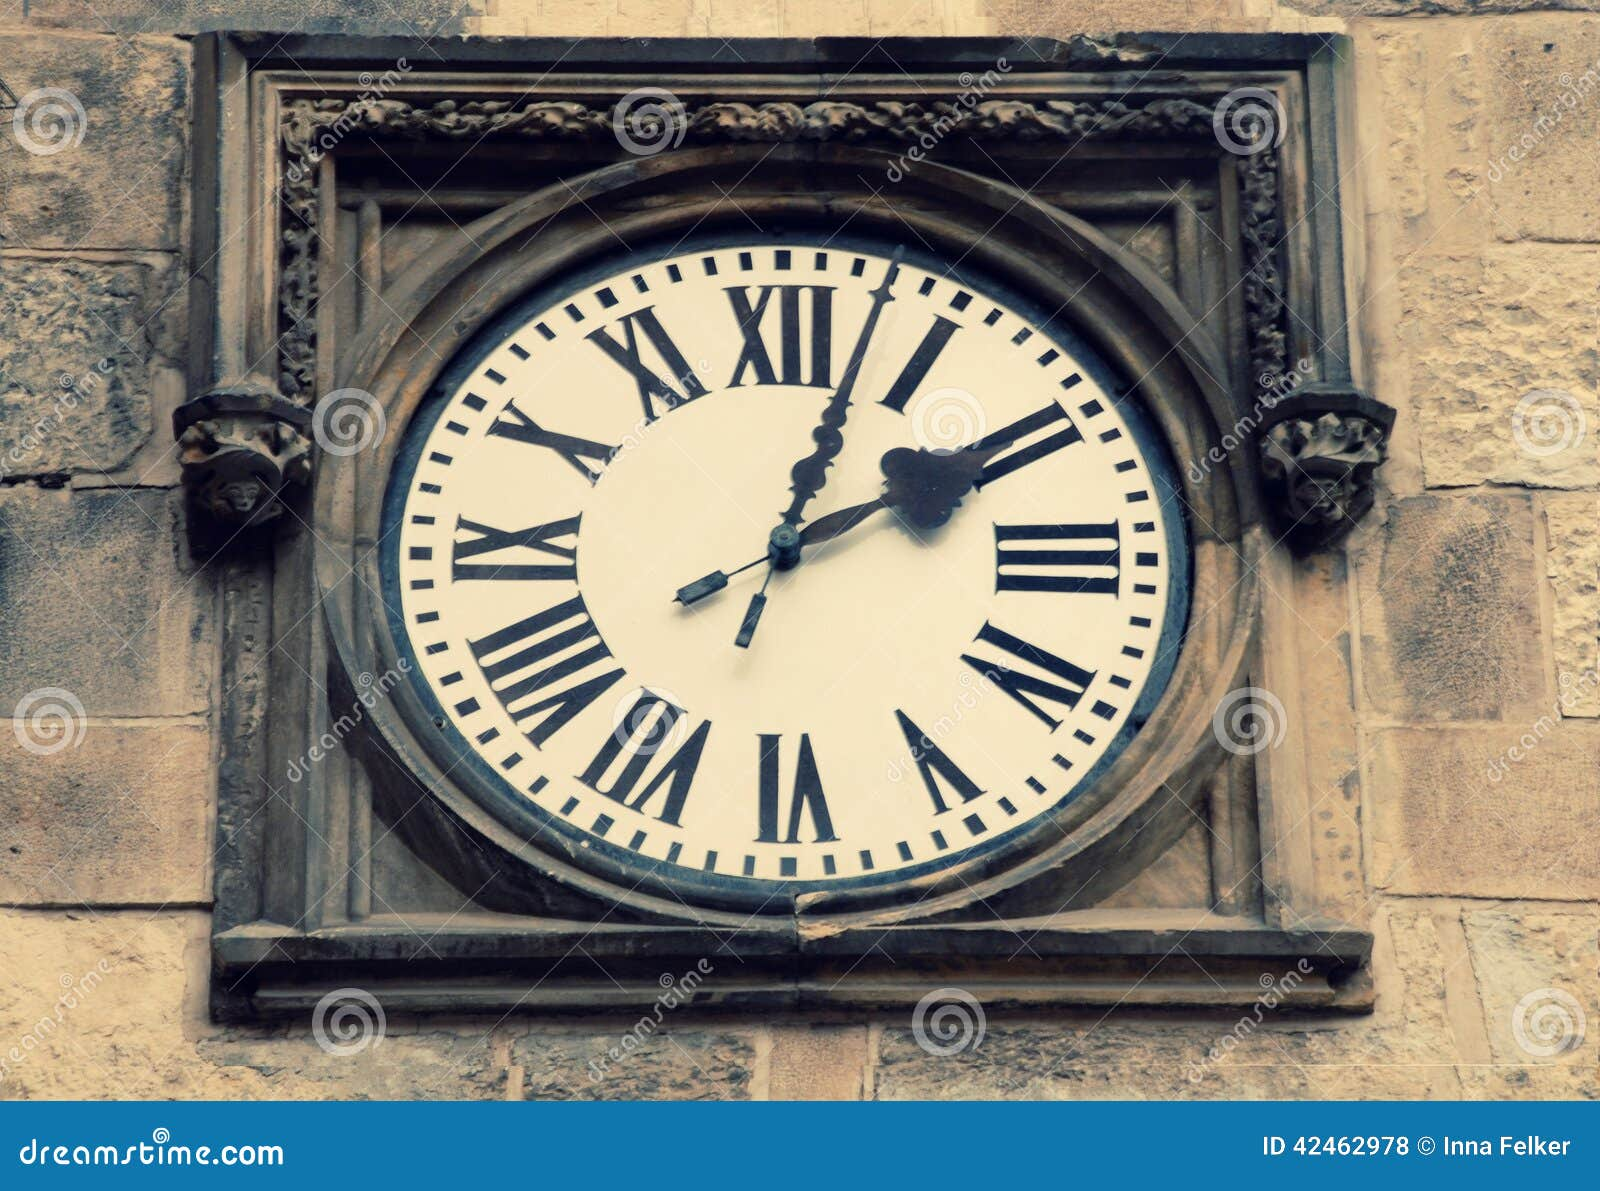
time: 2:02
